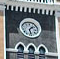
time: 1:28
